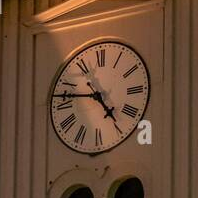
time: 4:46
